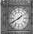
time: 1:40
